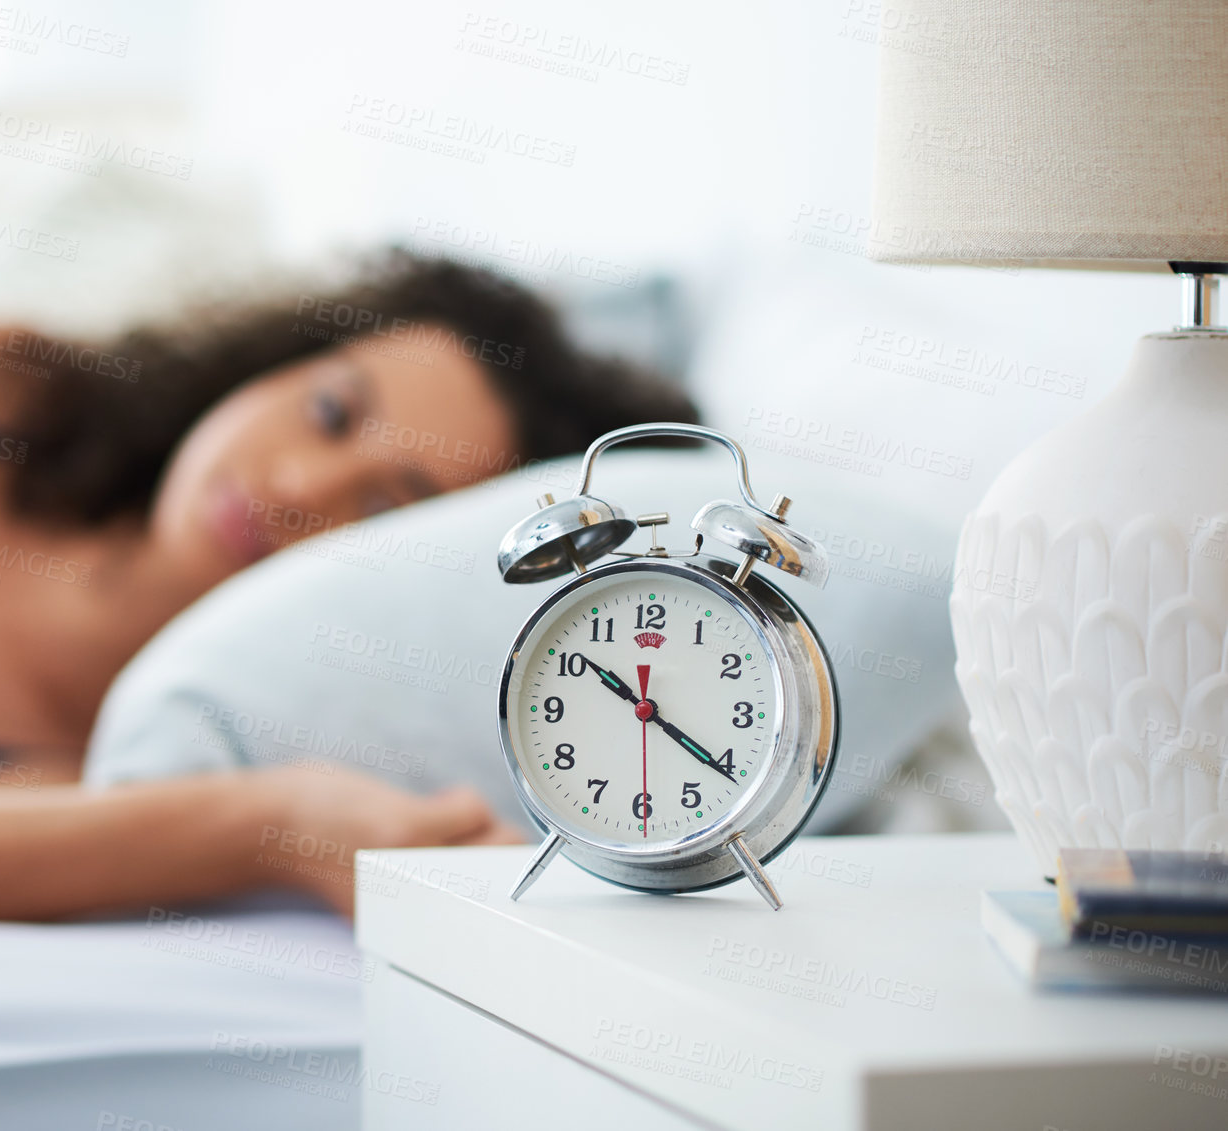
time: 10:20
